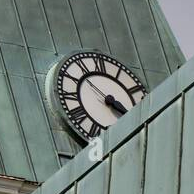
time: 3:52
